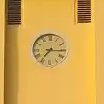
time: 7:15
